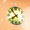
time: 7:53
